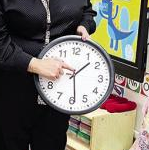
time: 1:29
